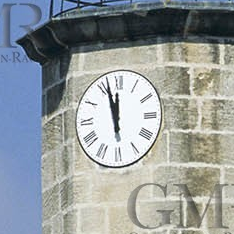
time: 11:56
